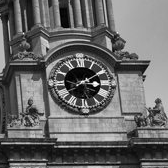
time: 3:09
